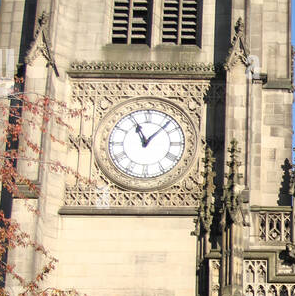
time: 11:07
